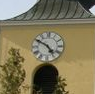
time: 4:50
